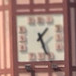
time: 1:26
